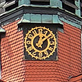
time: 12:07
